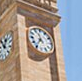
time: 11:35
